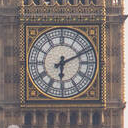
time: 6:10
